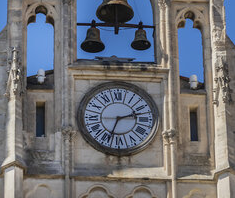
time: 2:33
